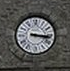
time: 3:16
